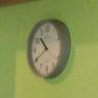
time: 10:39
